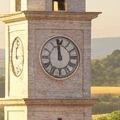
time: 11:58
